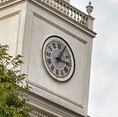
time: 3:04
